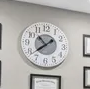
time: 10:38
